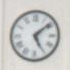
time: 5:08
